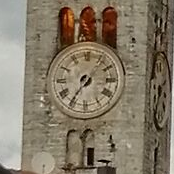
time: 7:07
